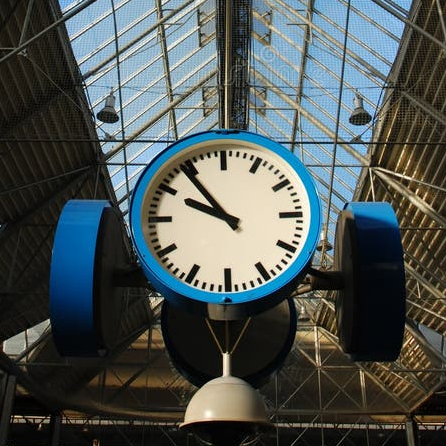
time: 9:53
